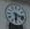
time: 6:17
